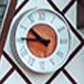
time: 10:45
